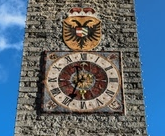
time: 11:33
